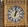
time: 1:01
